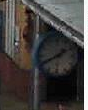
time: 1:40
